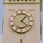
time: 1:22
